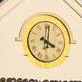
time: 4:01
